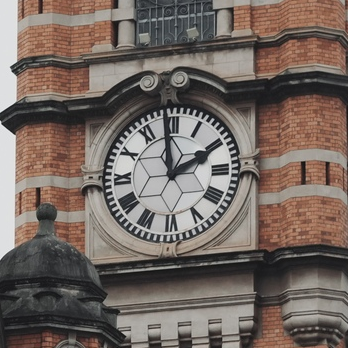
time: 1:58
